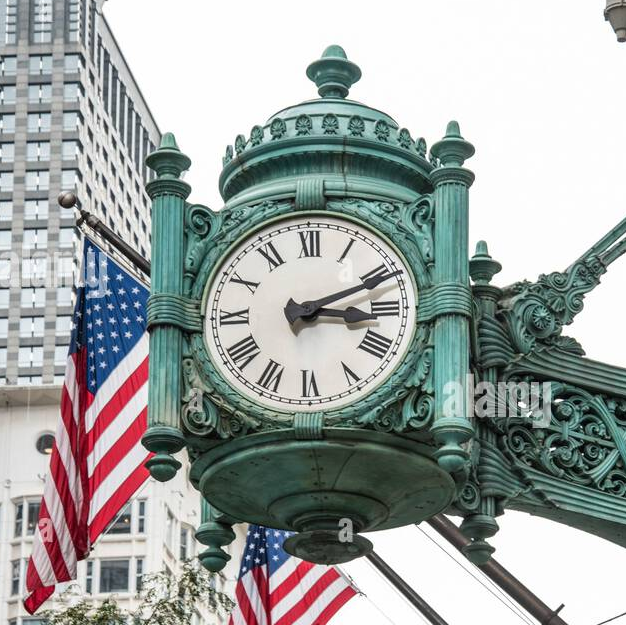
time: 3:11
